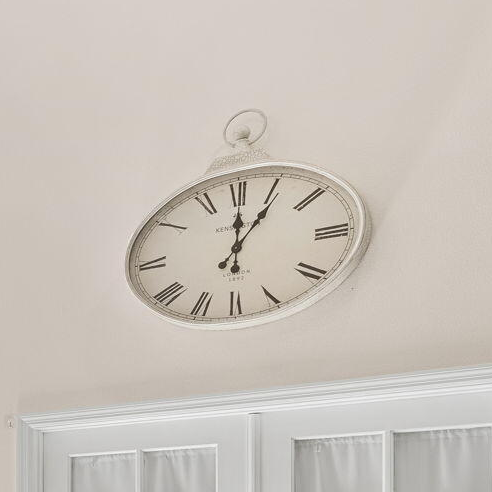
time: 12:05
